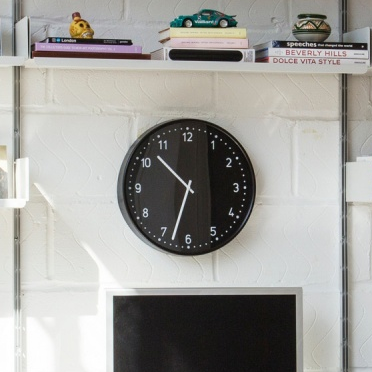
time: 10:32
